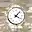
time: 4:07
